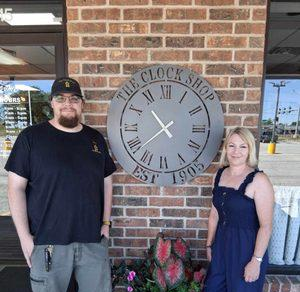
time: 10:38
